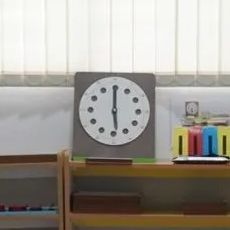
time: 5:59
